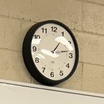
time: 1:13
